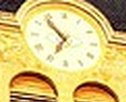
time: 6:53
